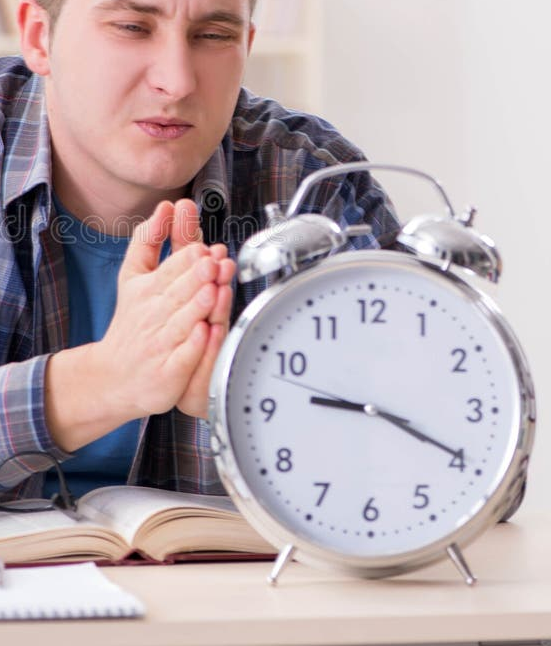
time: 9:19
